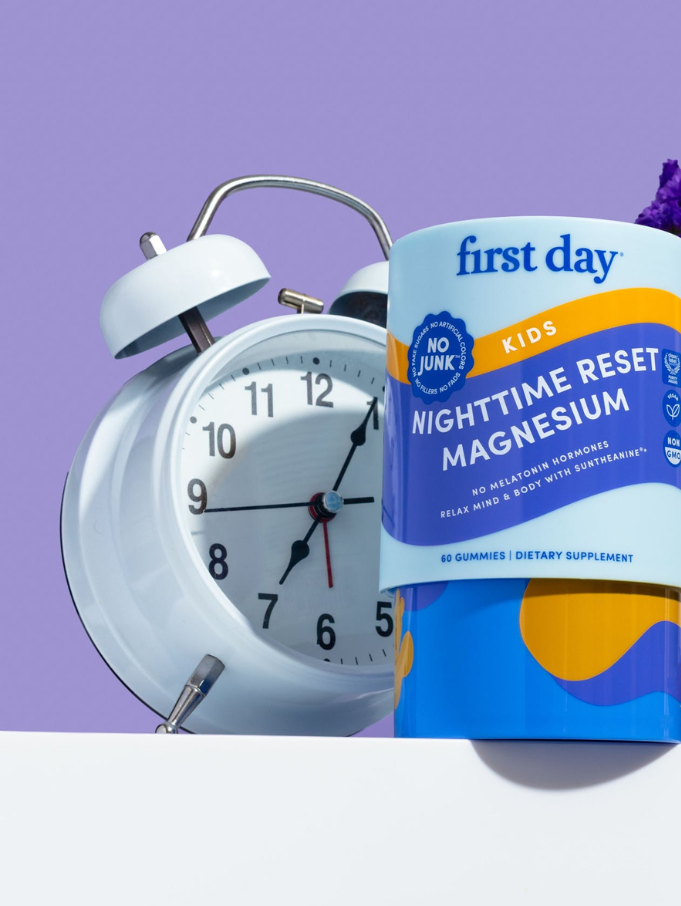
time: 7:04
